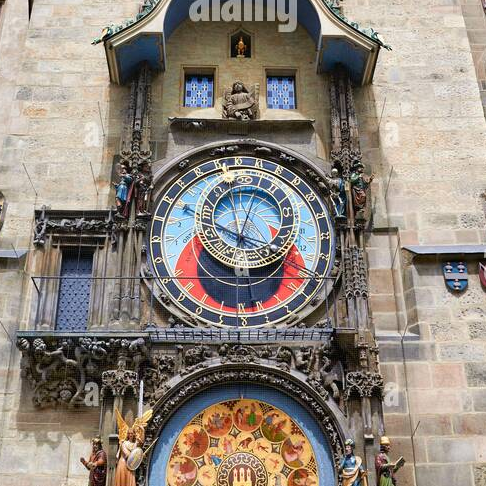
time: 12:03
